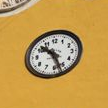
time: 10:26
